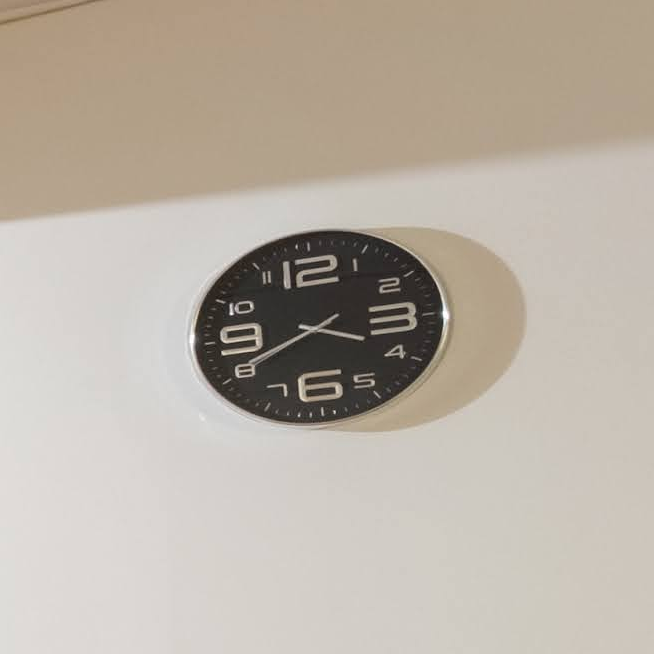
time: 3:40
